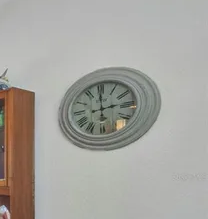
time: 2:59
